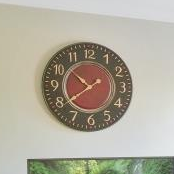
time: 10:39
